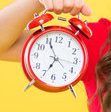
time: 6:55
